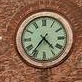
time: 4:36
